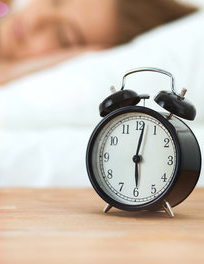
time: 6:01
